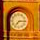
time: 7:15
